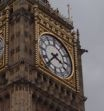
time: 3:36
